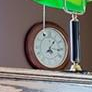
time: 1:16
